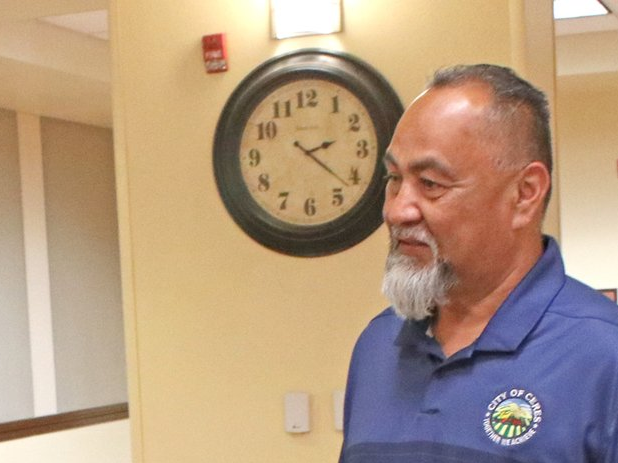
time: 2:21
